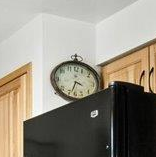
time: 4:34
